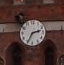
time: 2:34
